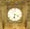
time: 6:18
